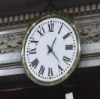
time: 1:23
